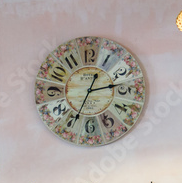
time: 2:34
